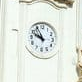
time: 9:55
